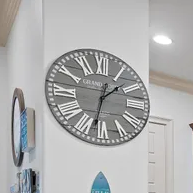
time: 1:32
